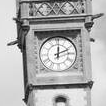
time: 12:11
